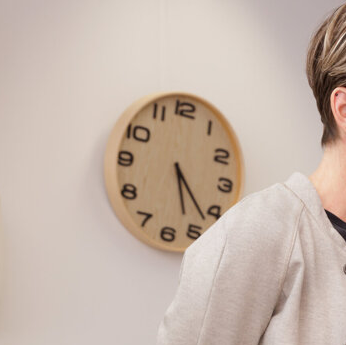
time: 5:22
